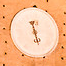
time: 5:27
